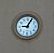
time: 9:05
